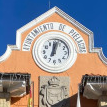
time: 12:02
